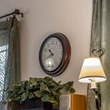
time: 10:42
